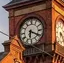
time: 6:19
